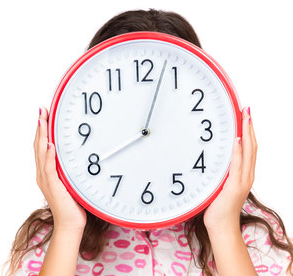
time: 8:03
